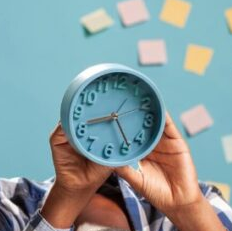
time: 8:23
